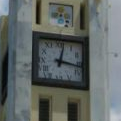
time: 12:16
